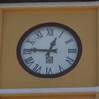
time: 12:46
